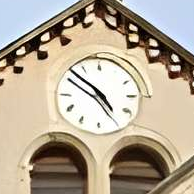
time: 4:51
